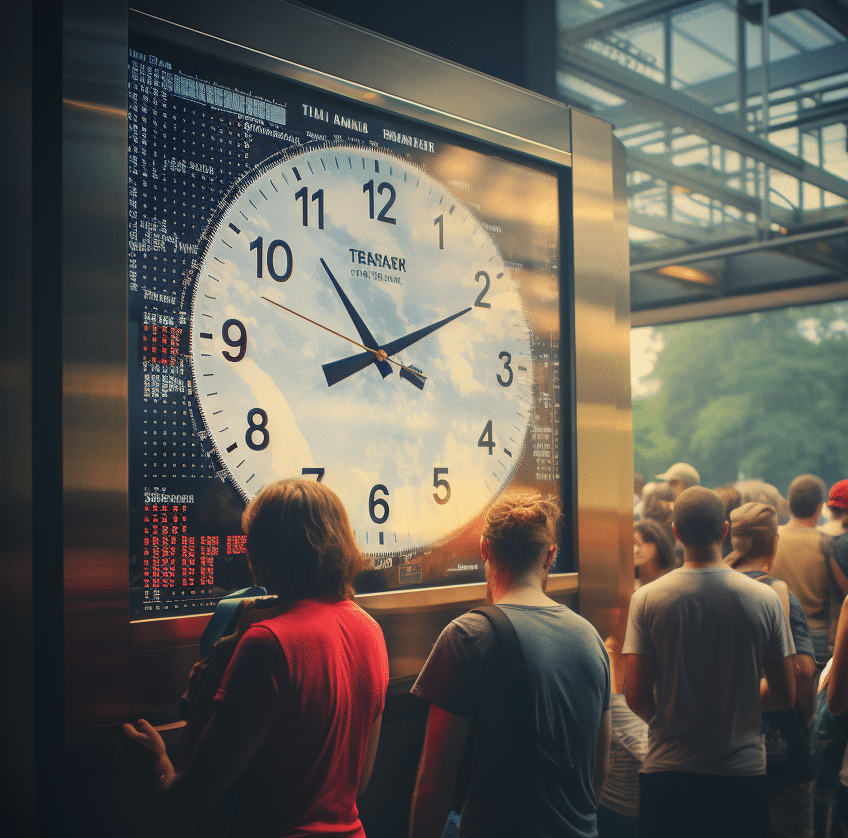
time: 8:10
